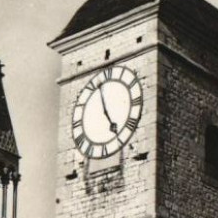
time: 4:57
